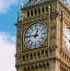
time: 12:46
